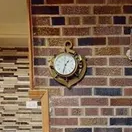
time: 1:32
